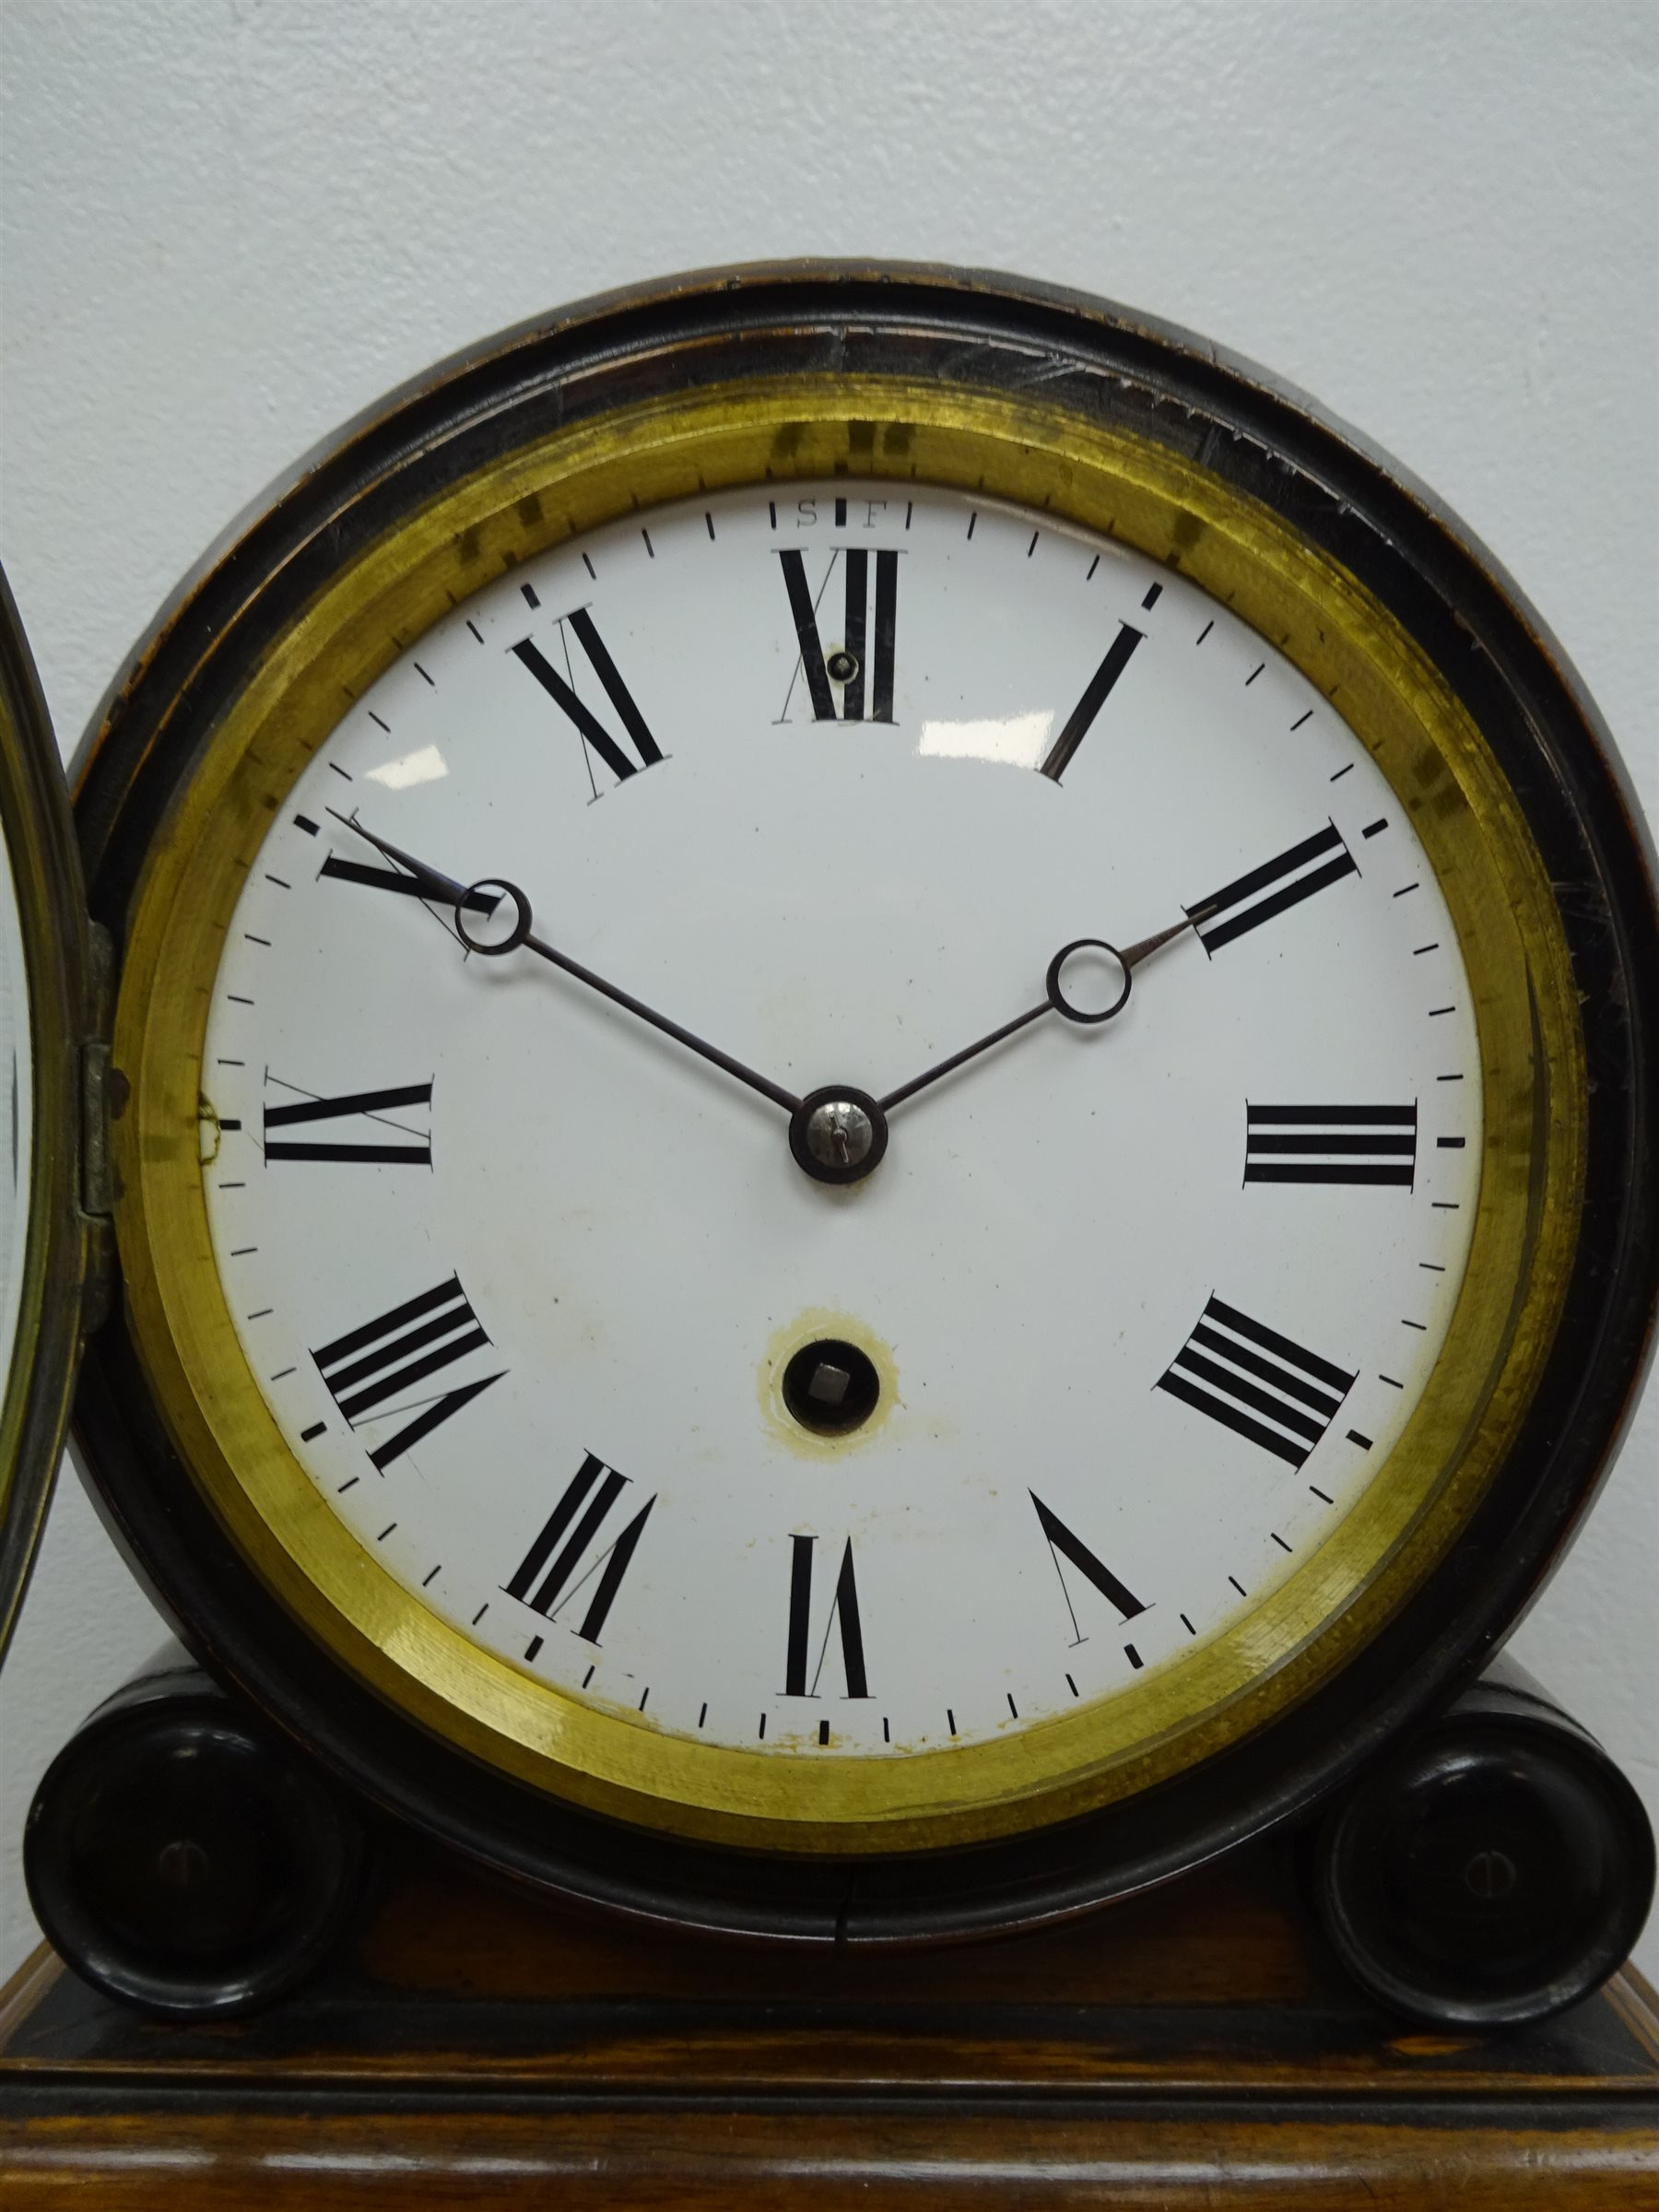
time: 1:50
